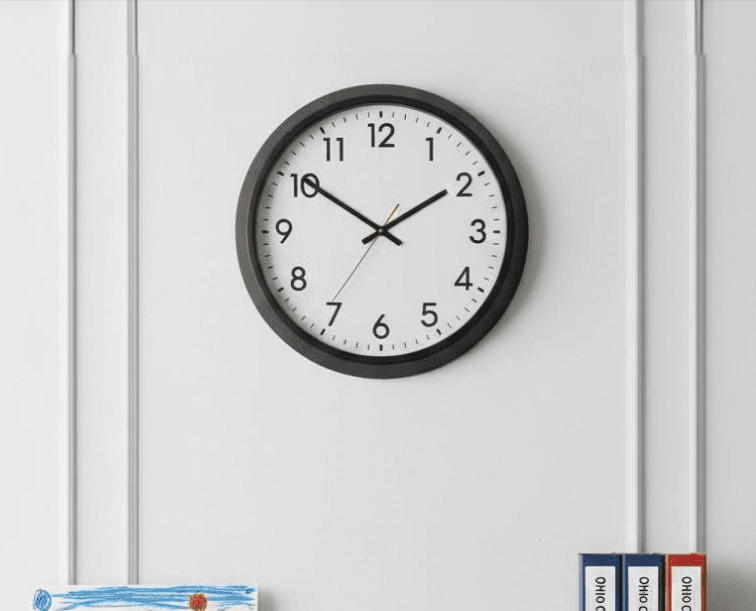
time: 1:50
